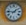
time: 1:46
